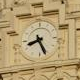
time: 8:26
